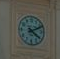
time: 4:10
